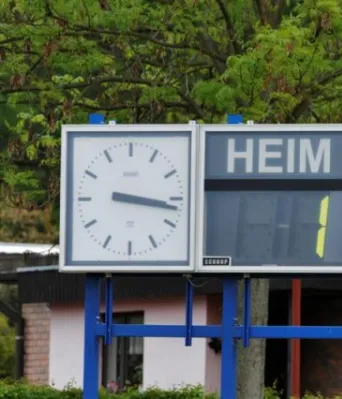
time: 3:16
